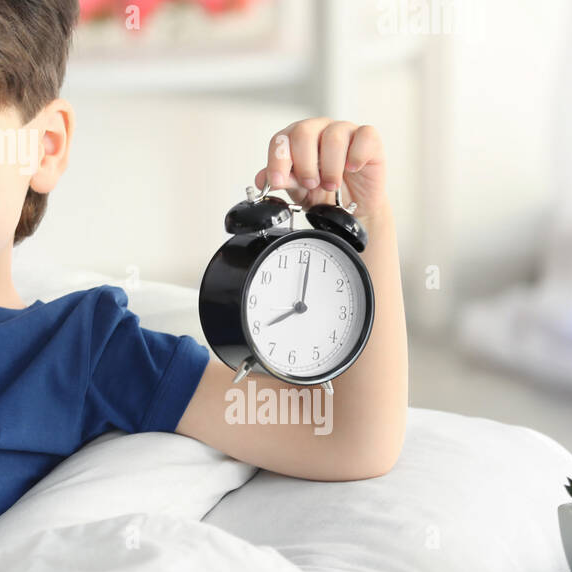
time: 8:01
